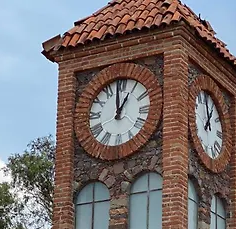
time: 12:59
